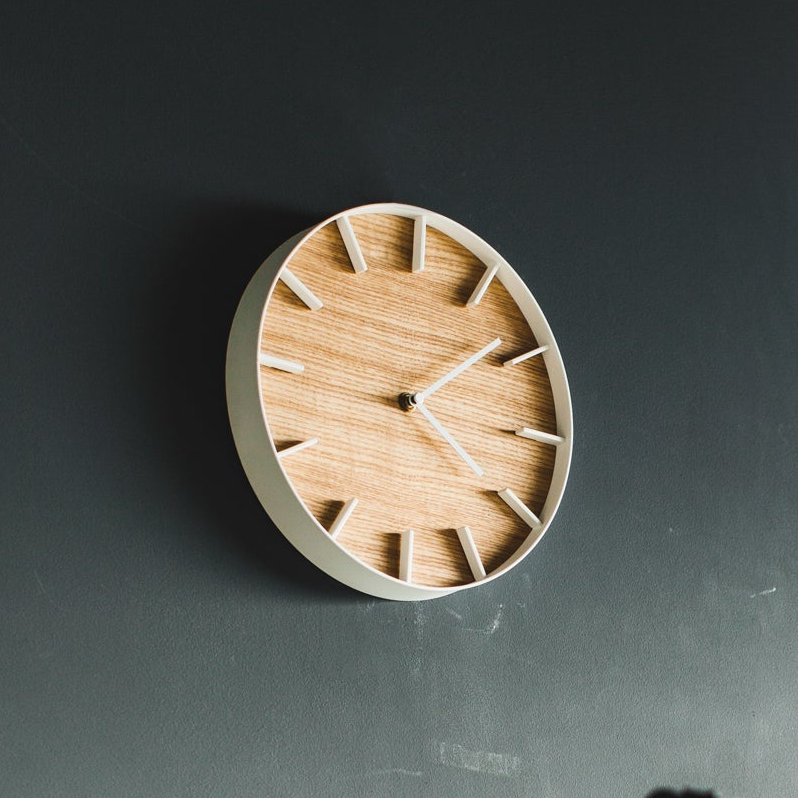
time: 4:08
